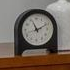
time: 11:11
